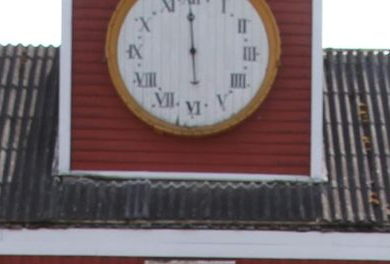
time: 5:59
